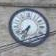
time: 7:33
